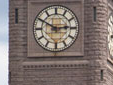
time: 2:50
